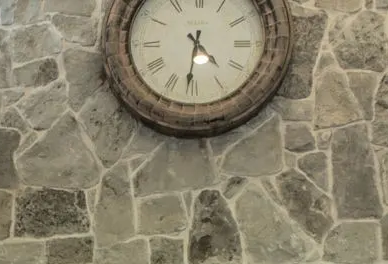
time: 4:31
